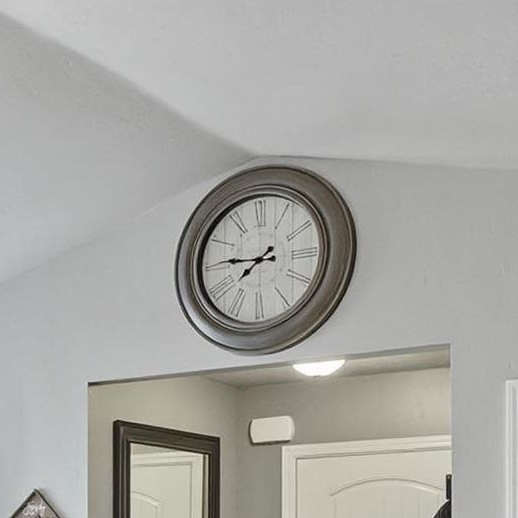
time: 7:45
